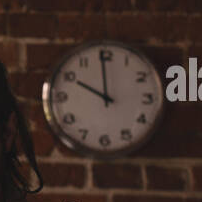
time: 9:59
